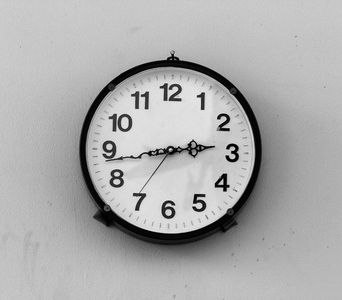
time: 2:43
